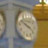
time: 3:48
